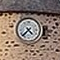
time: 4:37
